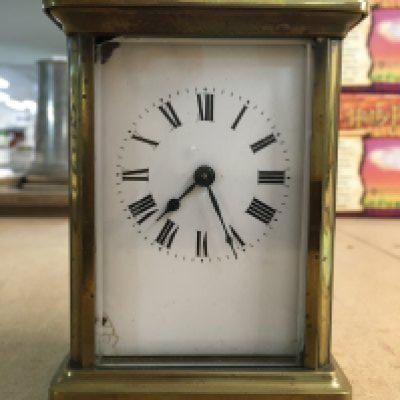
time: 7:25
